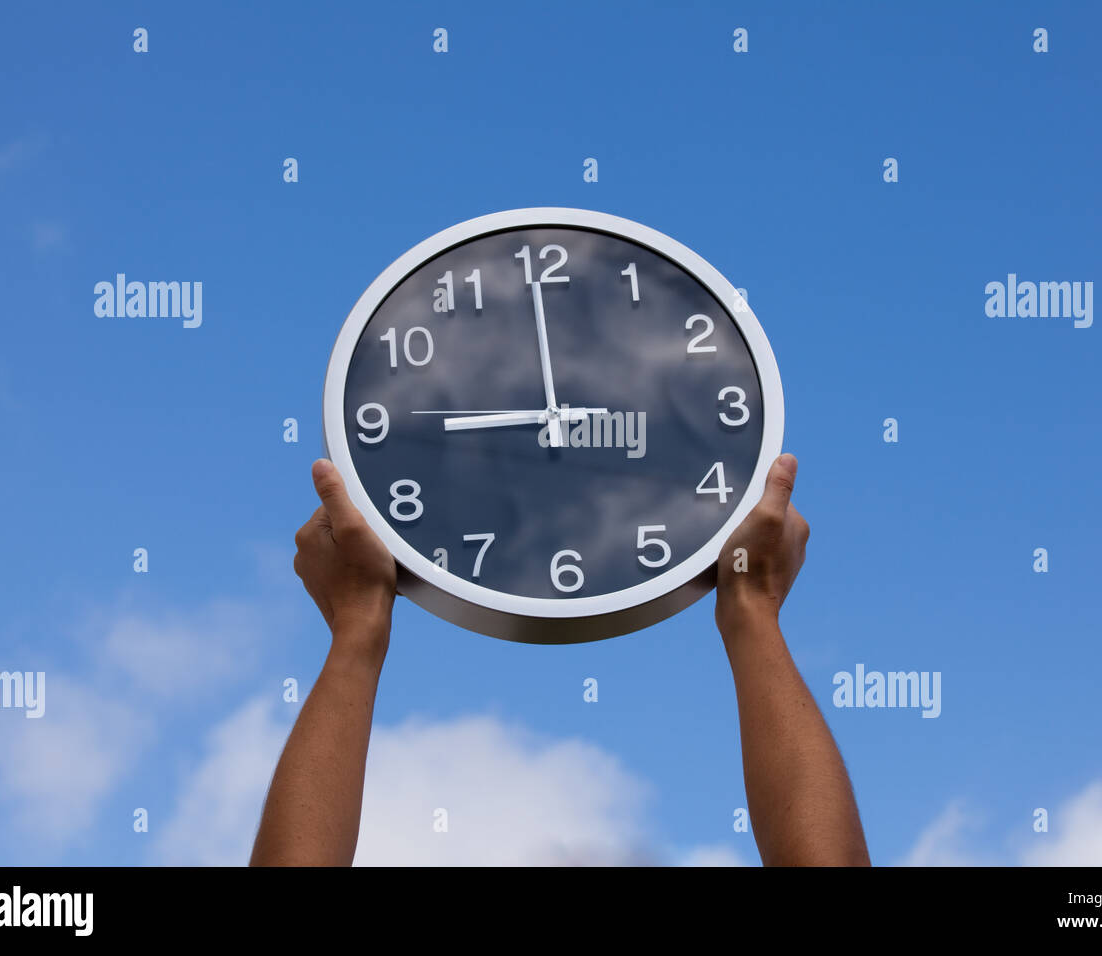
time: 8:59
